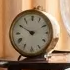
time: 9:50
